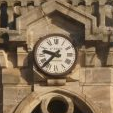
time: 9:37
